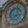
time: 3:02
